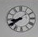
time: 8:39
